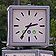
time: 2:35
